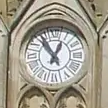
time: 12:55
